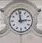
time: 2:58
